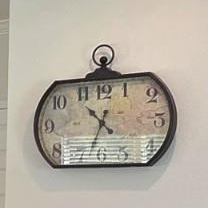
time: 4:33
